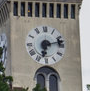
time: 6:12
